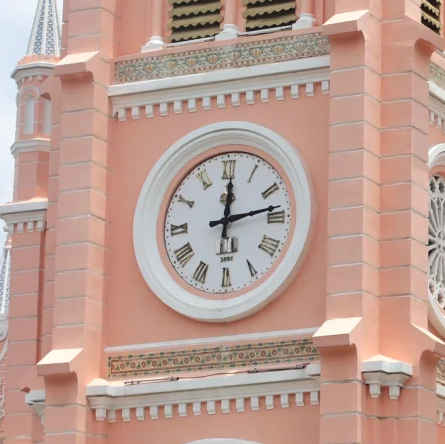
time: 12:13
